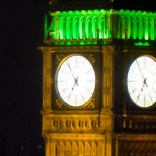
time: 6:54
